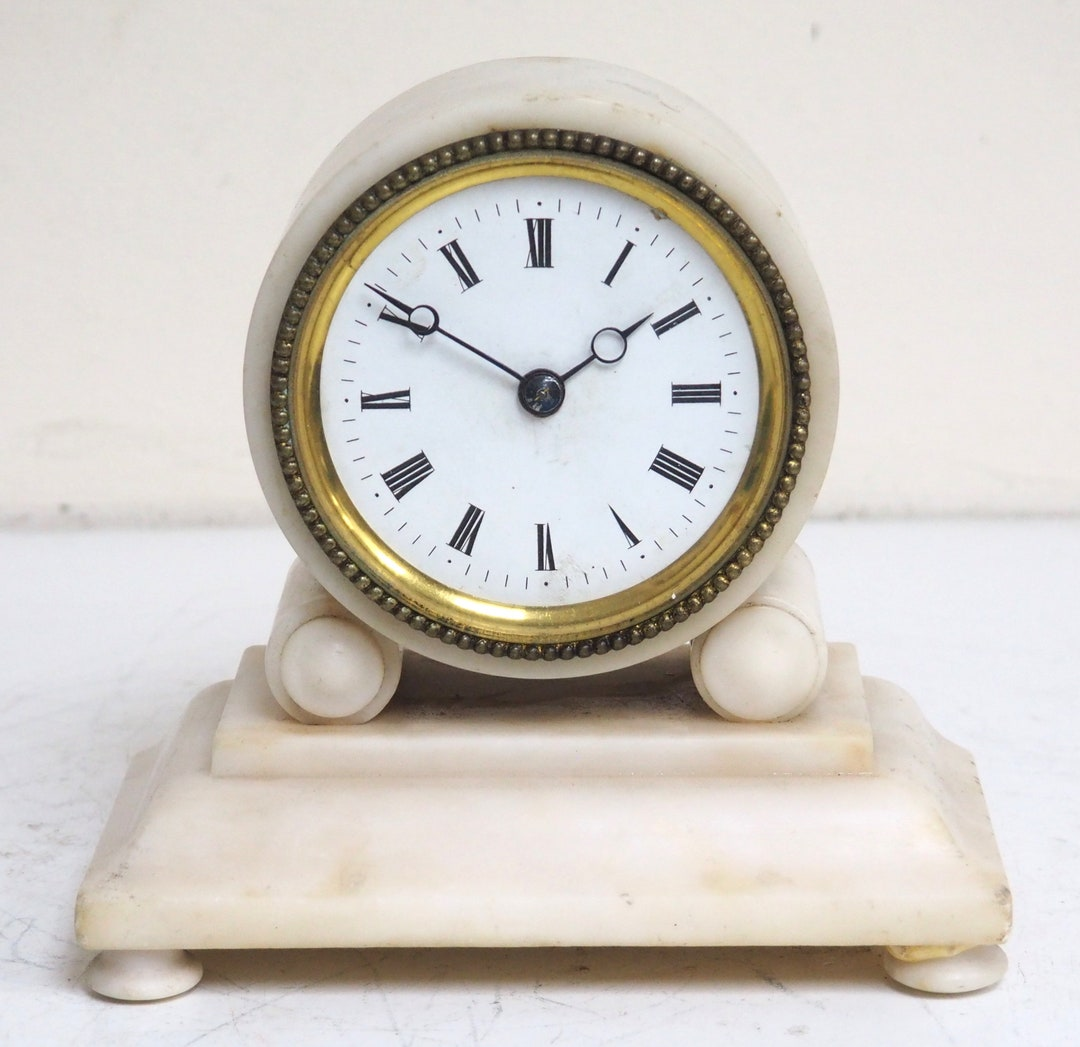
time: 1:50
